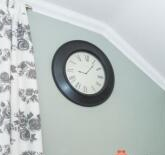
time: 9:06
